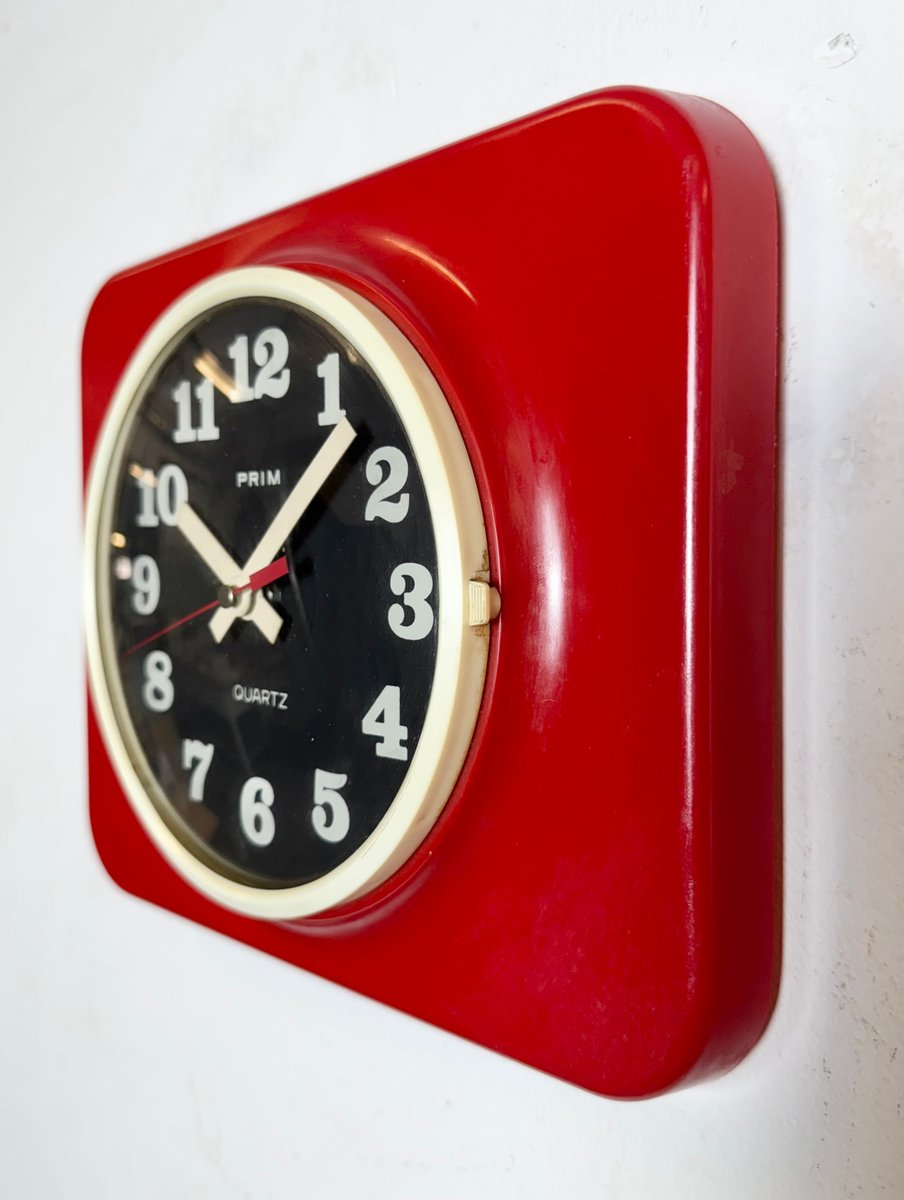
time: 10:07
